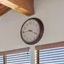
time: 9:20
